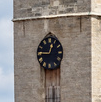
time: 12:45
